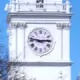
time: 2:46
